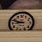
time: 8:48
